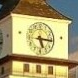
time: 5:15
